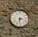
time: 3:32
